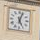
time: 5:03
